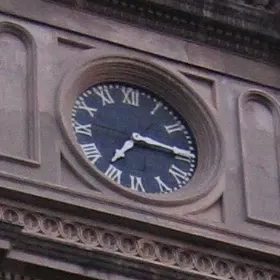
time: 7:15
